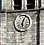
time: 6:03
